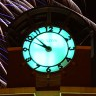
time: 9:52
